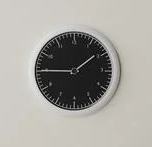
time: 1:45
